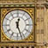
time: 12:26
